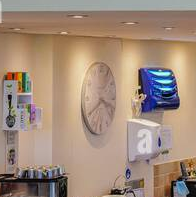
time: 3:40
